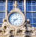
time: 8:38
